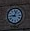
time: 9:03
